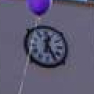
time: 12:24
